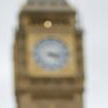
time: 4:14
